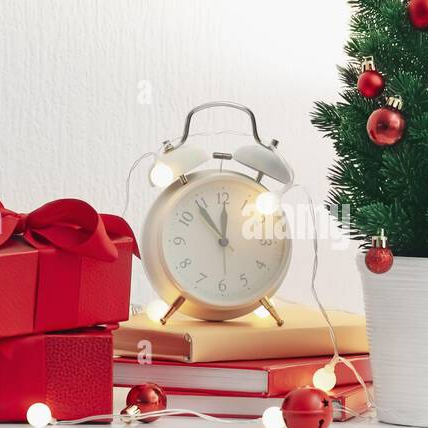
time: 11:54
